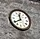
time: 11:39
